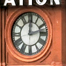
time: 12:12
